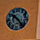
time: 10:23
